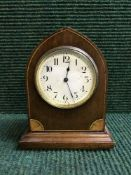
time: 12:26
